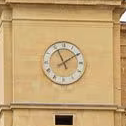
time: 11:09
